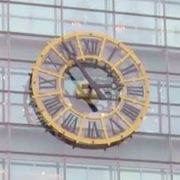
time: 2:54
